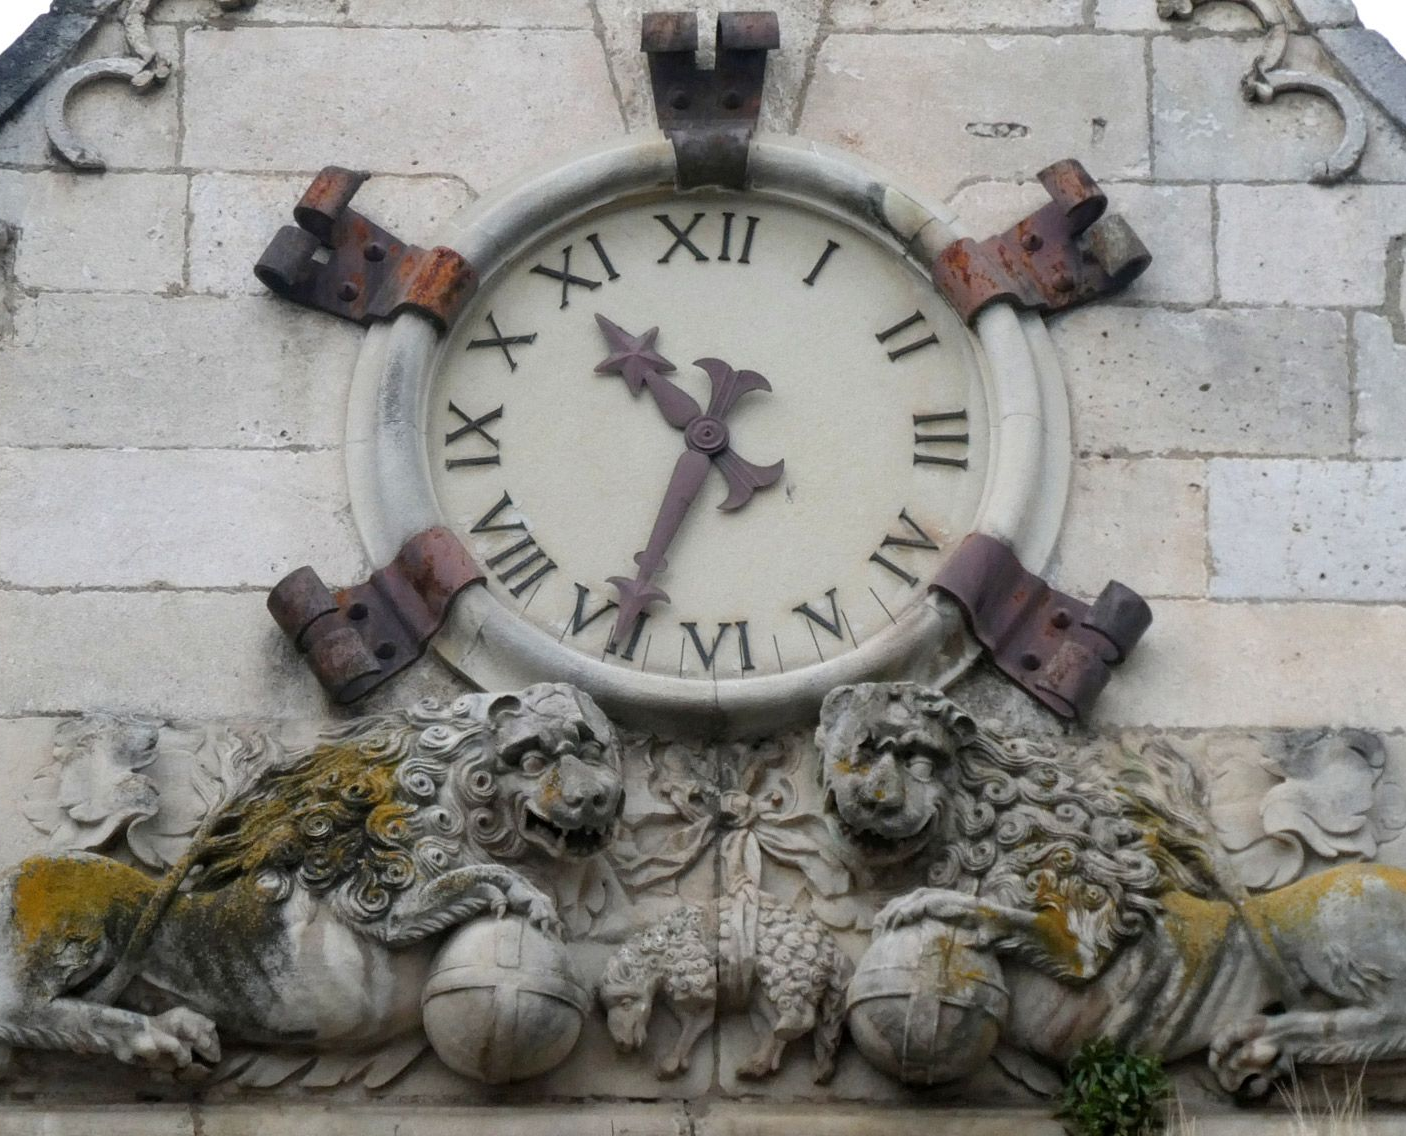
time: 10:34
